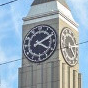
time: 4:10
